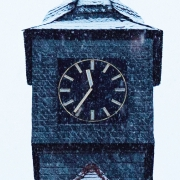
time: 11:35
